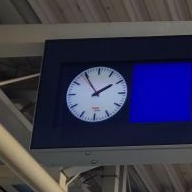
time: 1:54
